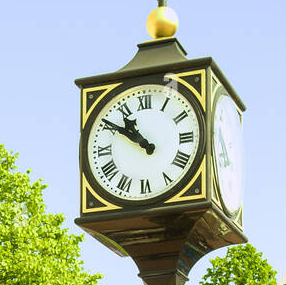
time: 10:50
